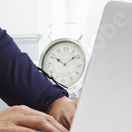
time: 10:08
